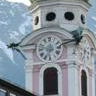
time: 6:47
